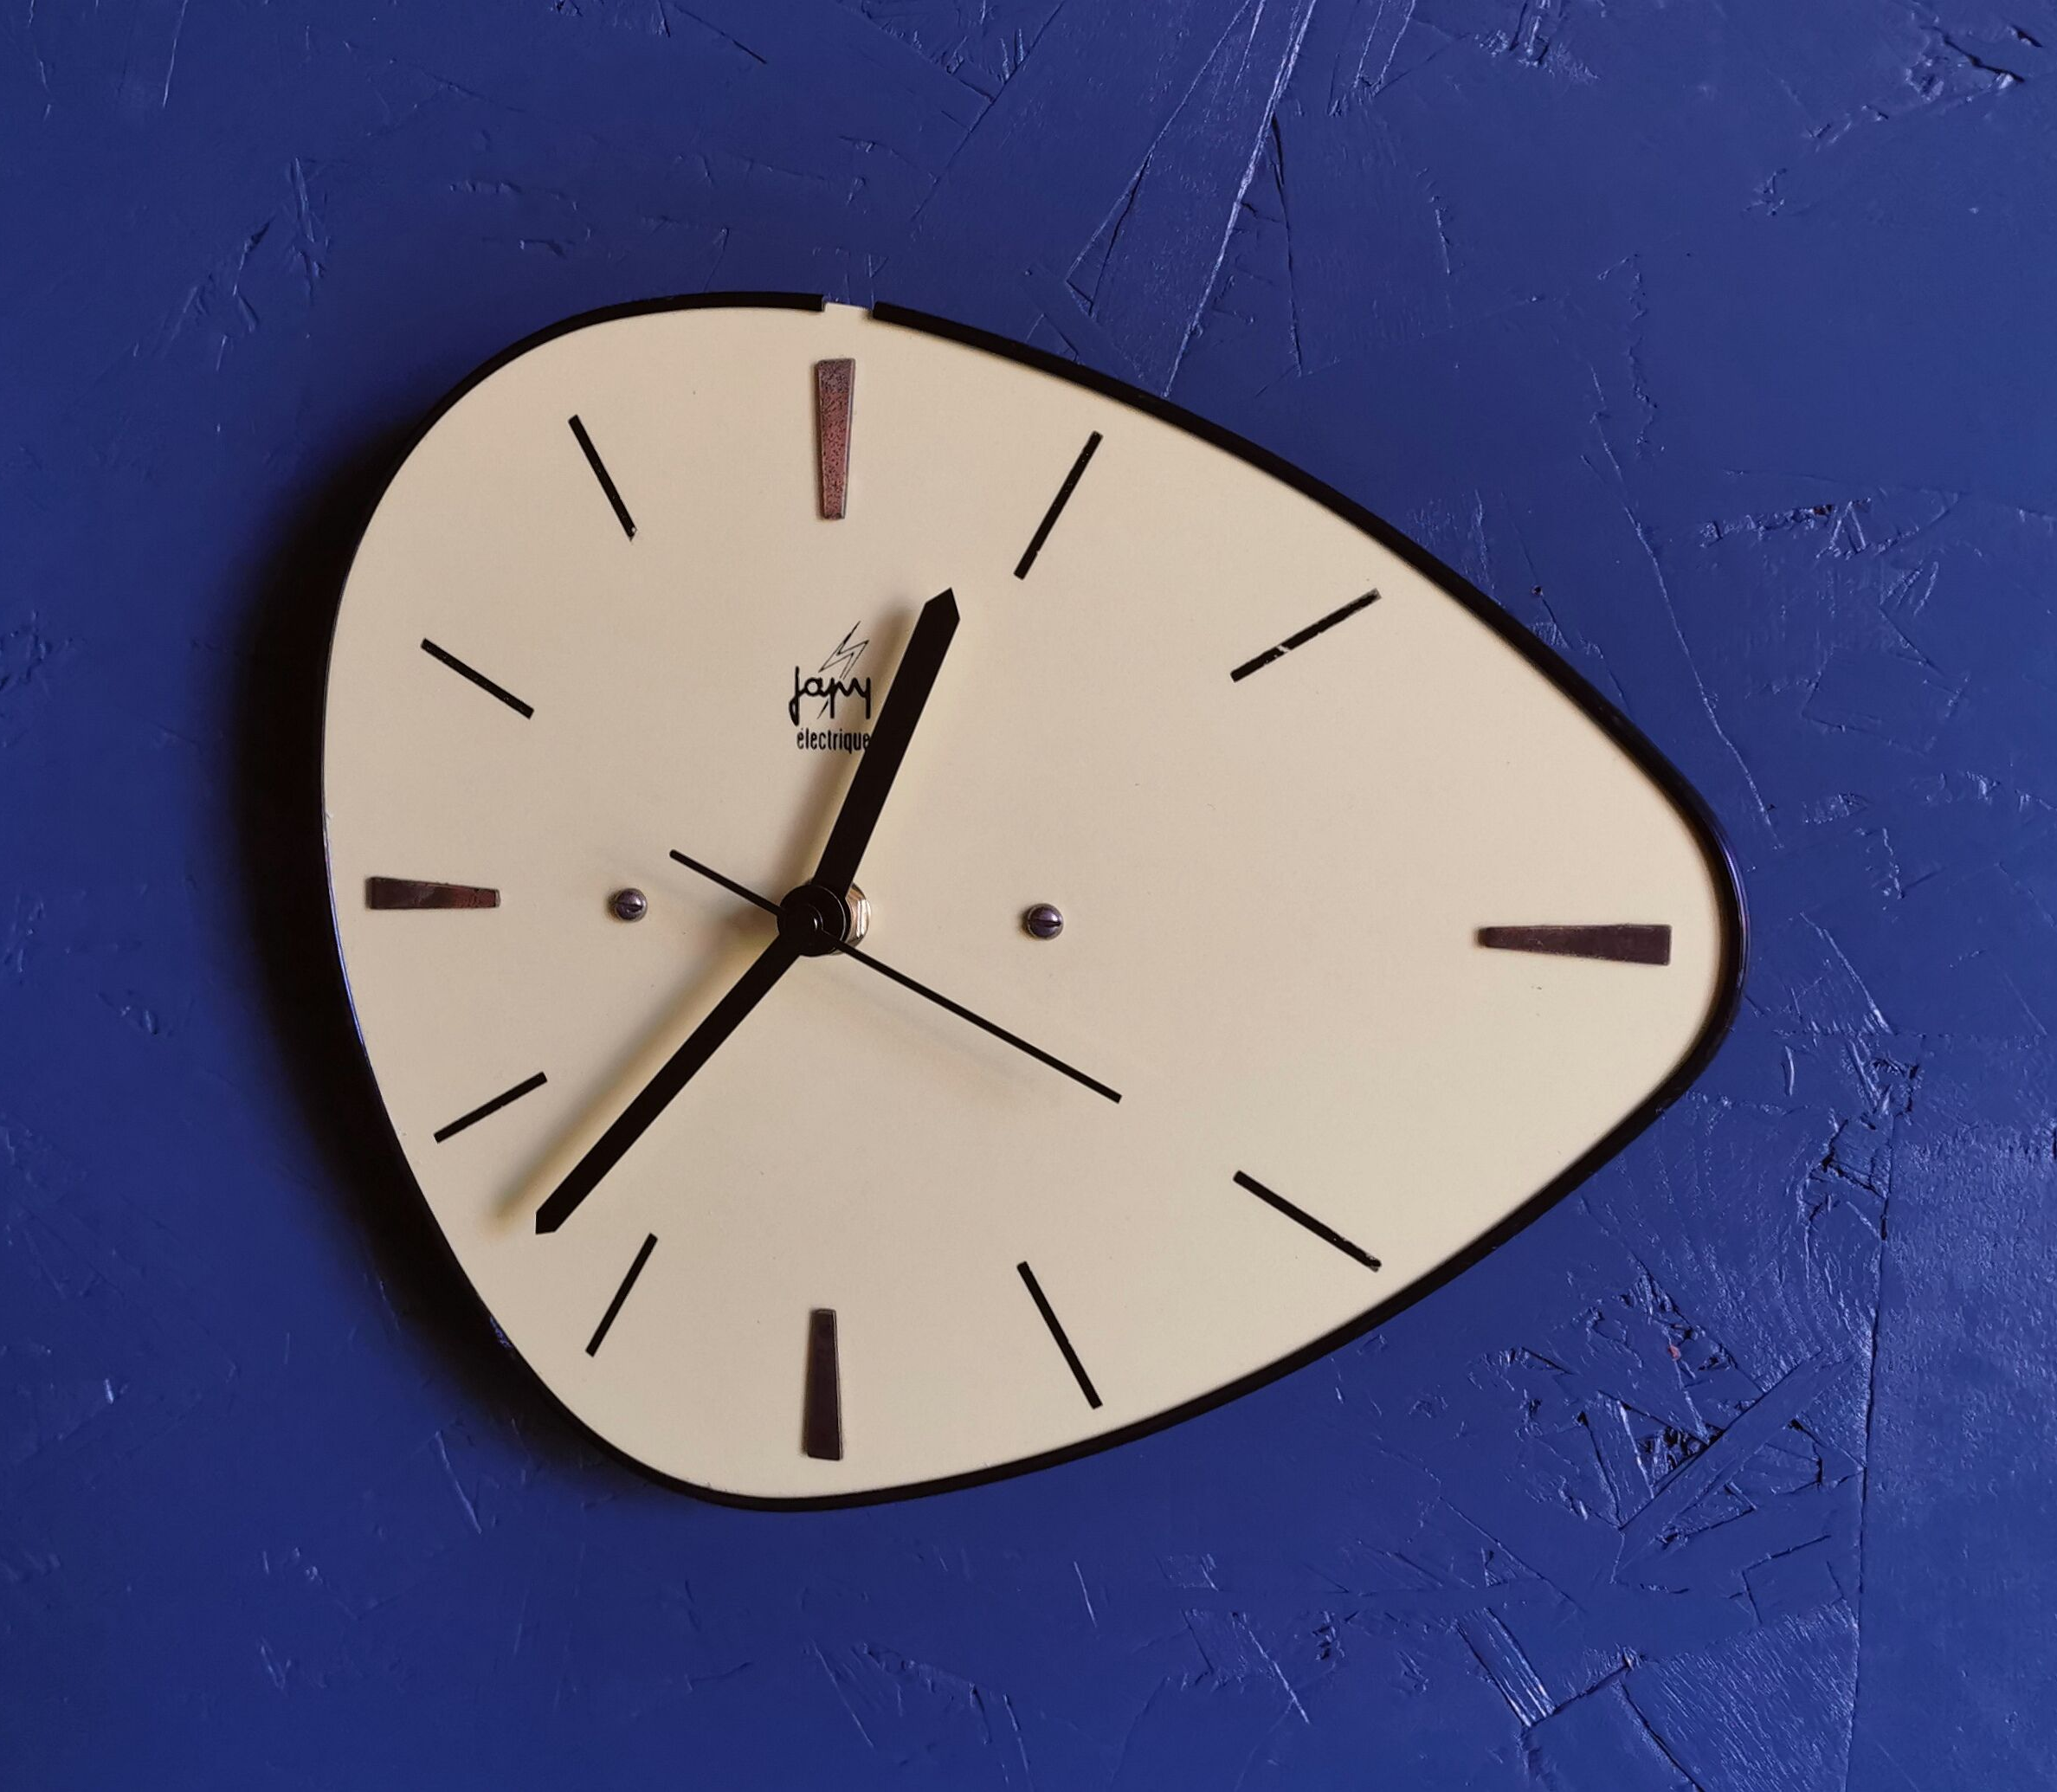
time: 12:37
